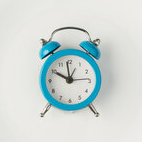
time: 9:58
